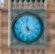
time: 3:58
